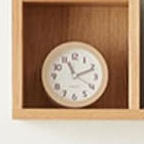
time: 11:11
